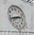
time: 2:42
